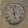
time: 11:28
